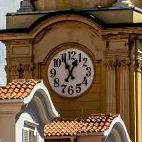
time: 12:55
